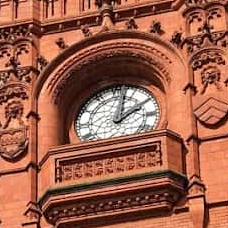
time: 2:02
